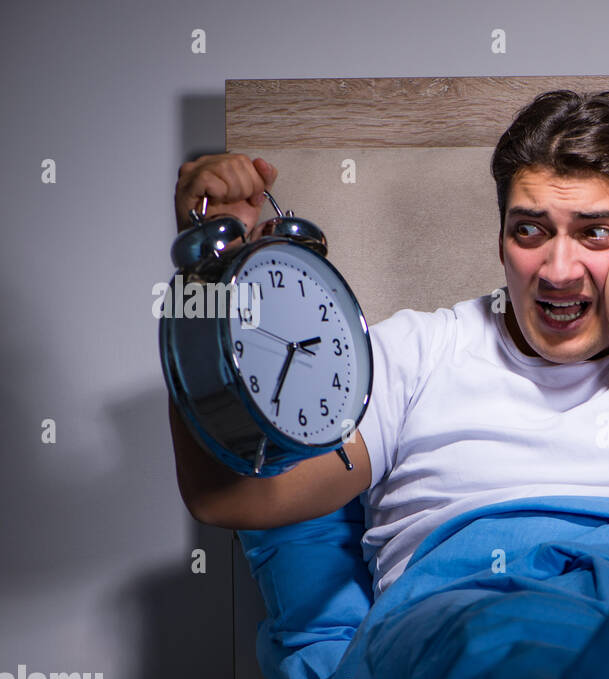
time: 2:35
